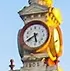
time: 5:40
